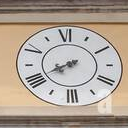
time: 7:40
